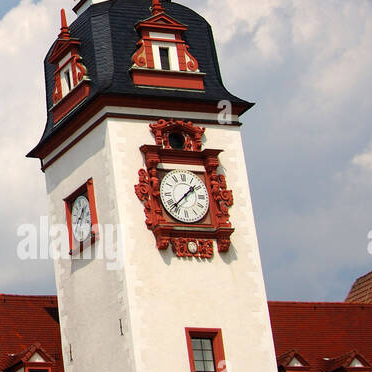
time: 1:38
